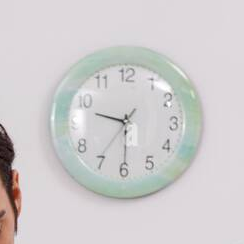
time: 9:29
